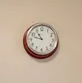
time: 10:47
